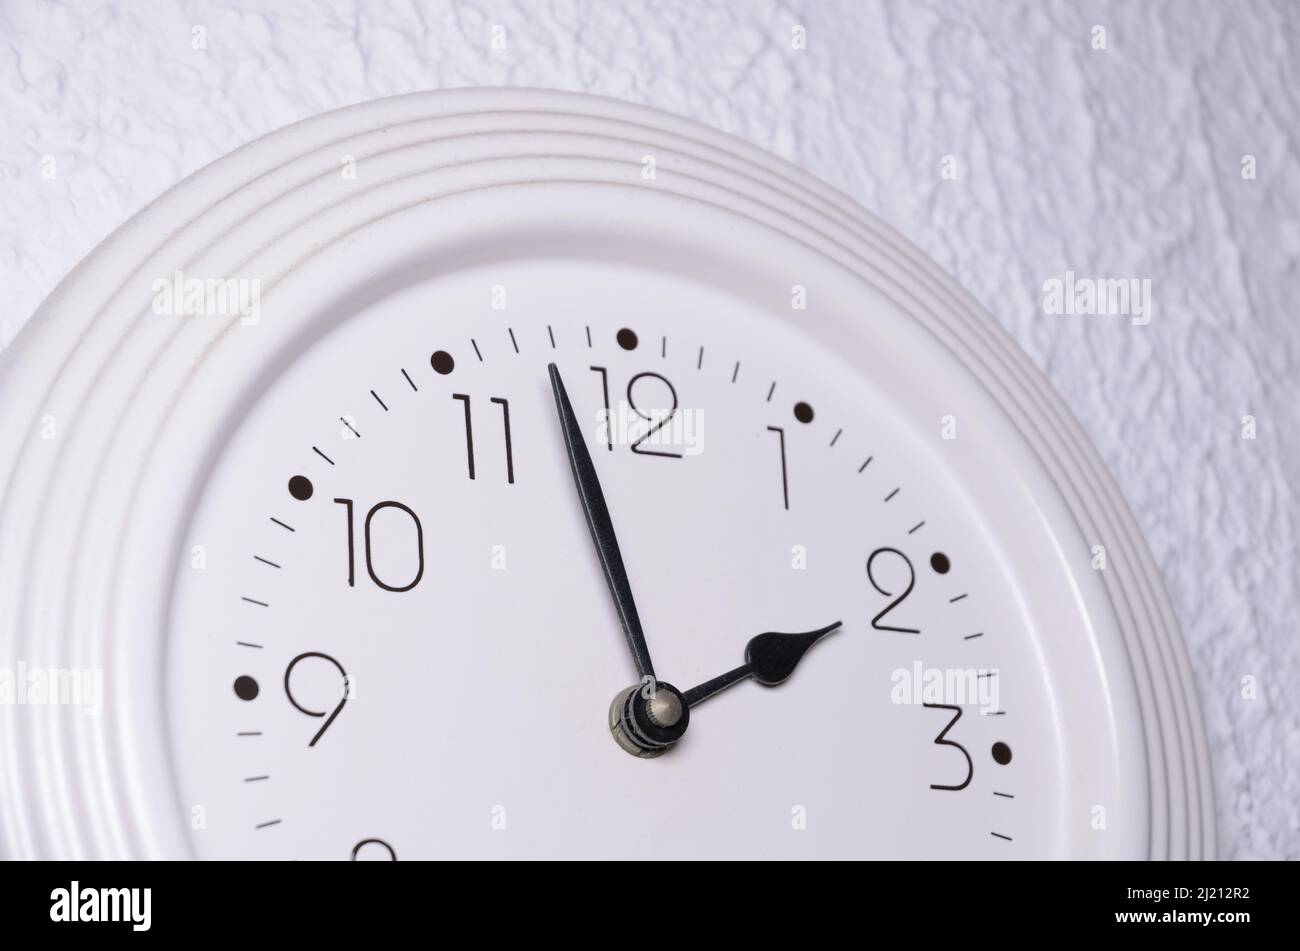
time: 1:57
